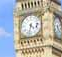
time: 4:32
